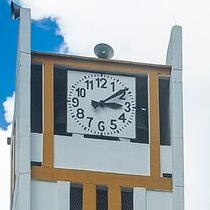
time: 3:08
